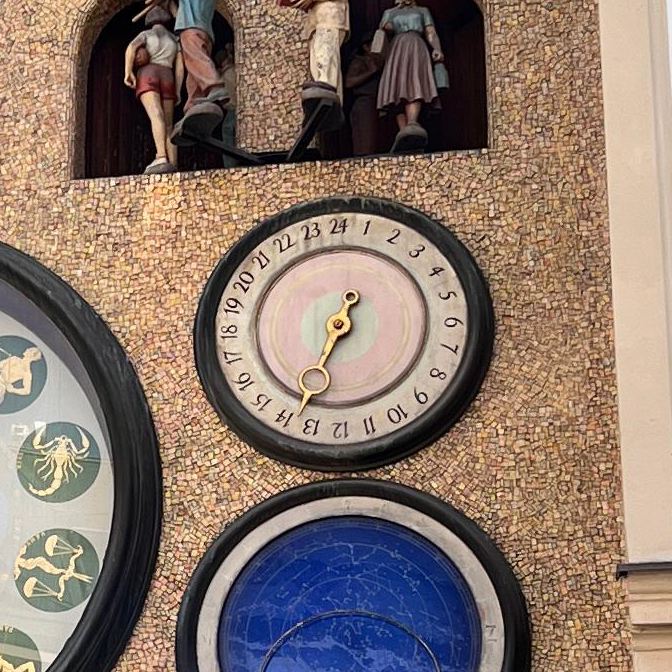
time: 6:32
